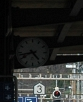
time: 4:42
